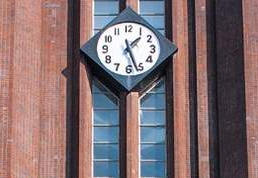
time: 1:26
